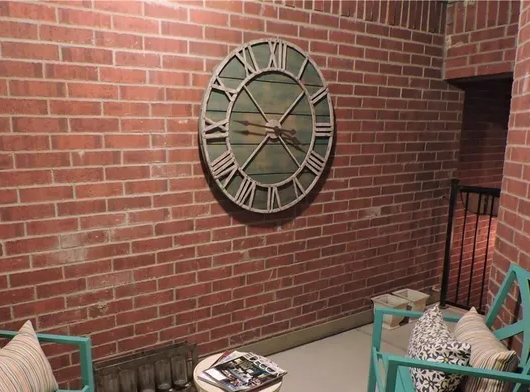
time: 1:37
